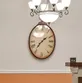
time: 1:36
